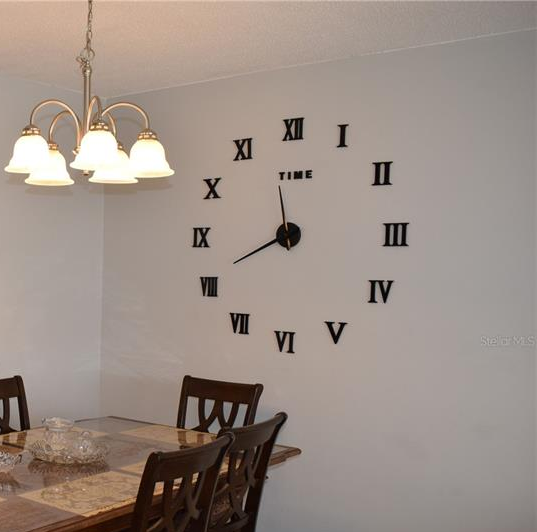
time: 11:40
